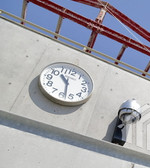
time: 10:28
